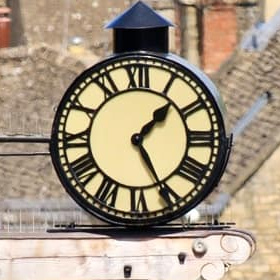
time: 1:25
